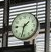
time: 1:32
